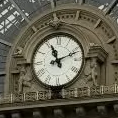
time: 11:11
